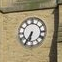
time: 6:35
